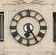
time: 6:24
